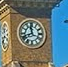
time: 11:41
